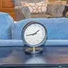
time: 1:43
